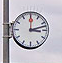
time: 3:12
